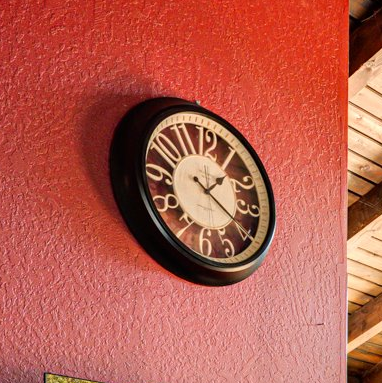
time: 1:20
